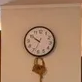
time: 9:50
